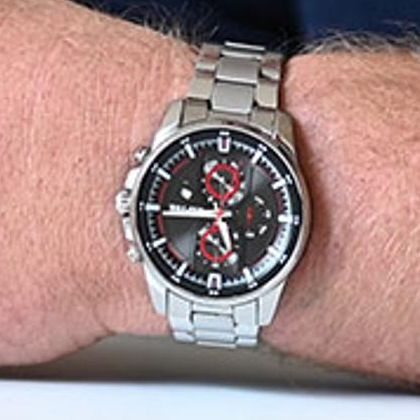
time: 5:44
